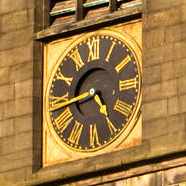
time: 4:42
